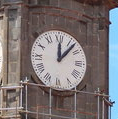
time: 12:07
